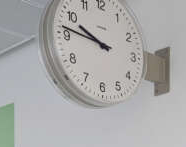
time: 9:46
